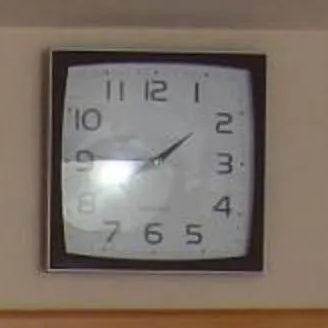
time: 1:45
